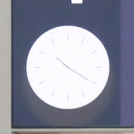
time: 10:20
